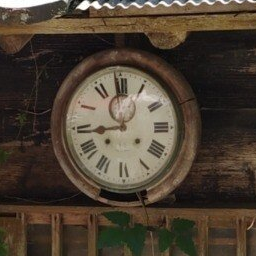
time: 11:43
